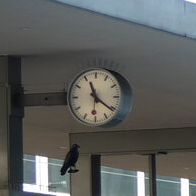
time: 11:21
